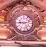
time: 9:12
